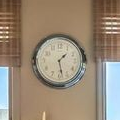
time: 1:27
